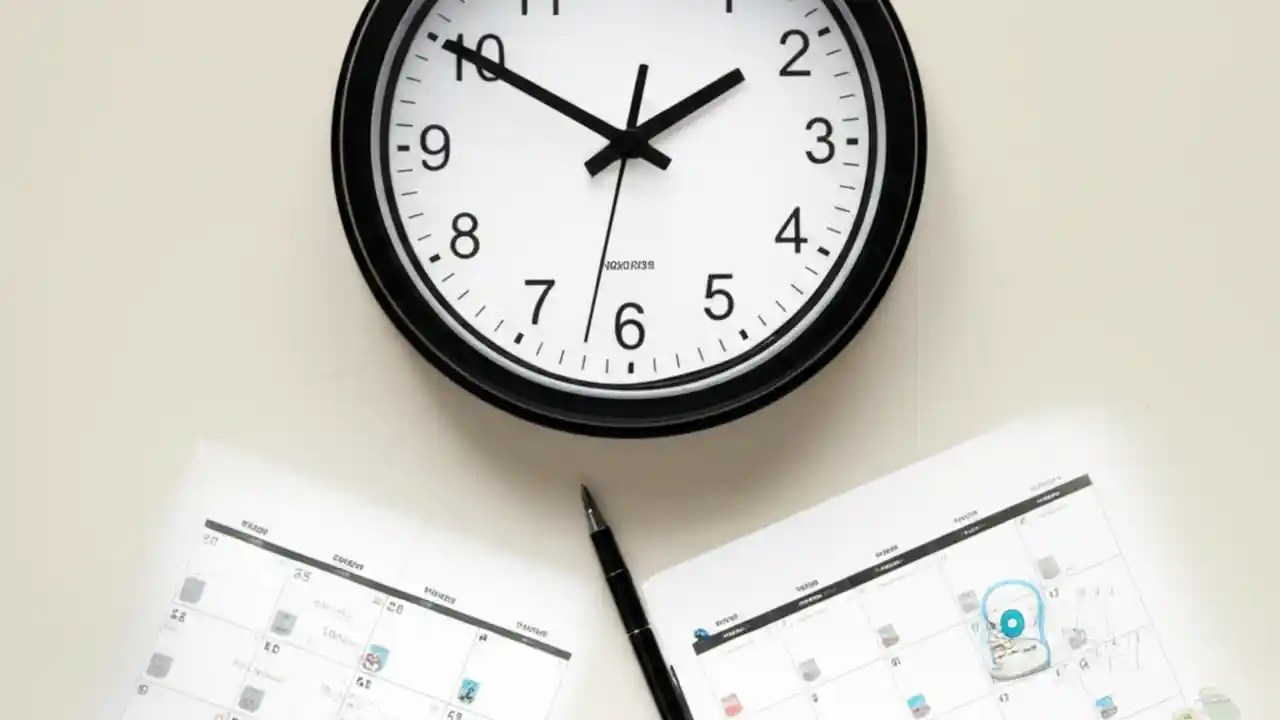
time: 1:50
